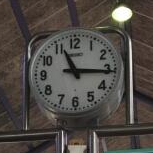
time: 11:15
